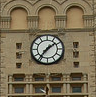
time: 1:36
